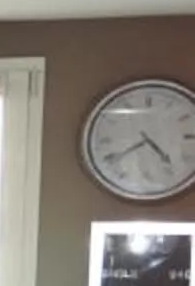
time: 4:39
